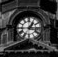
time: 1:16
